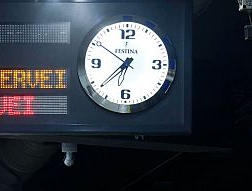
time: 6:37
